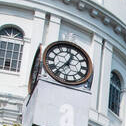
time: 12:36
